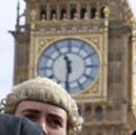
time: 11:31
